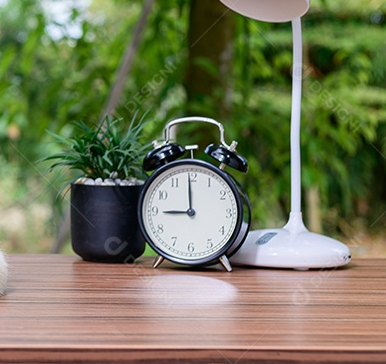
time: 8:59
